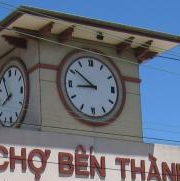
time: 8:51
